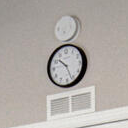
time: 10:26
